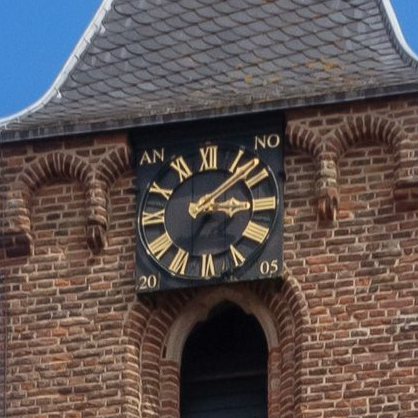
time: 3:08
